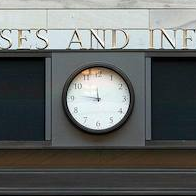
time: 11:46
